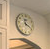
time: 11:19
